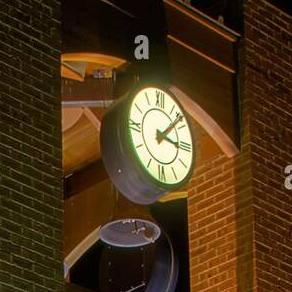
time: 3:07
